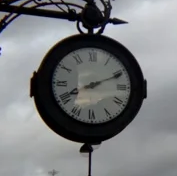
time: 8:11
